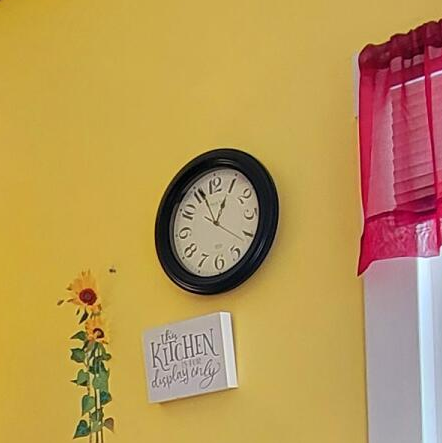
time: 12:56
